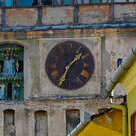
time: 1:34
